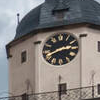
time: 2:40
